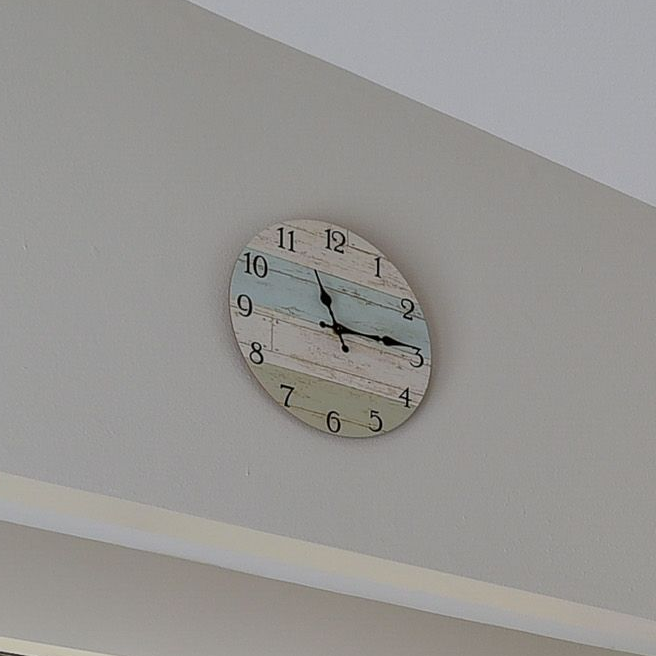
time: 11:14
